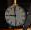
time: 8:58
